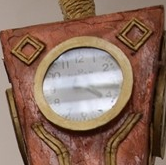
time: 4:16
